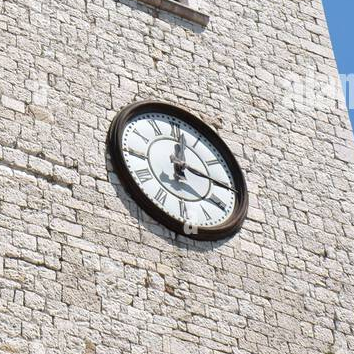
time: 12:16
